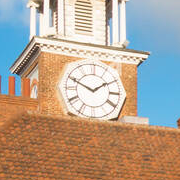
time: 1:49
